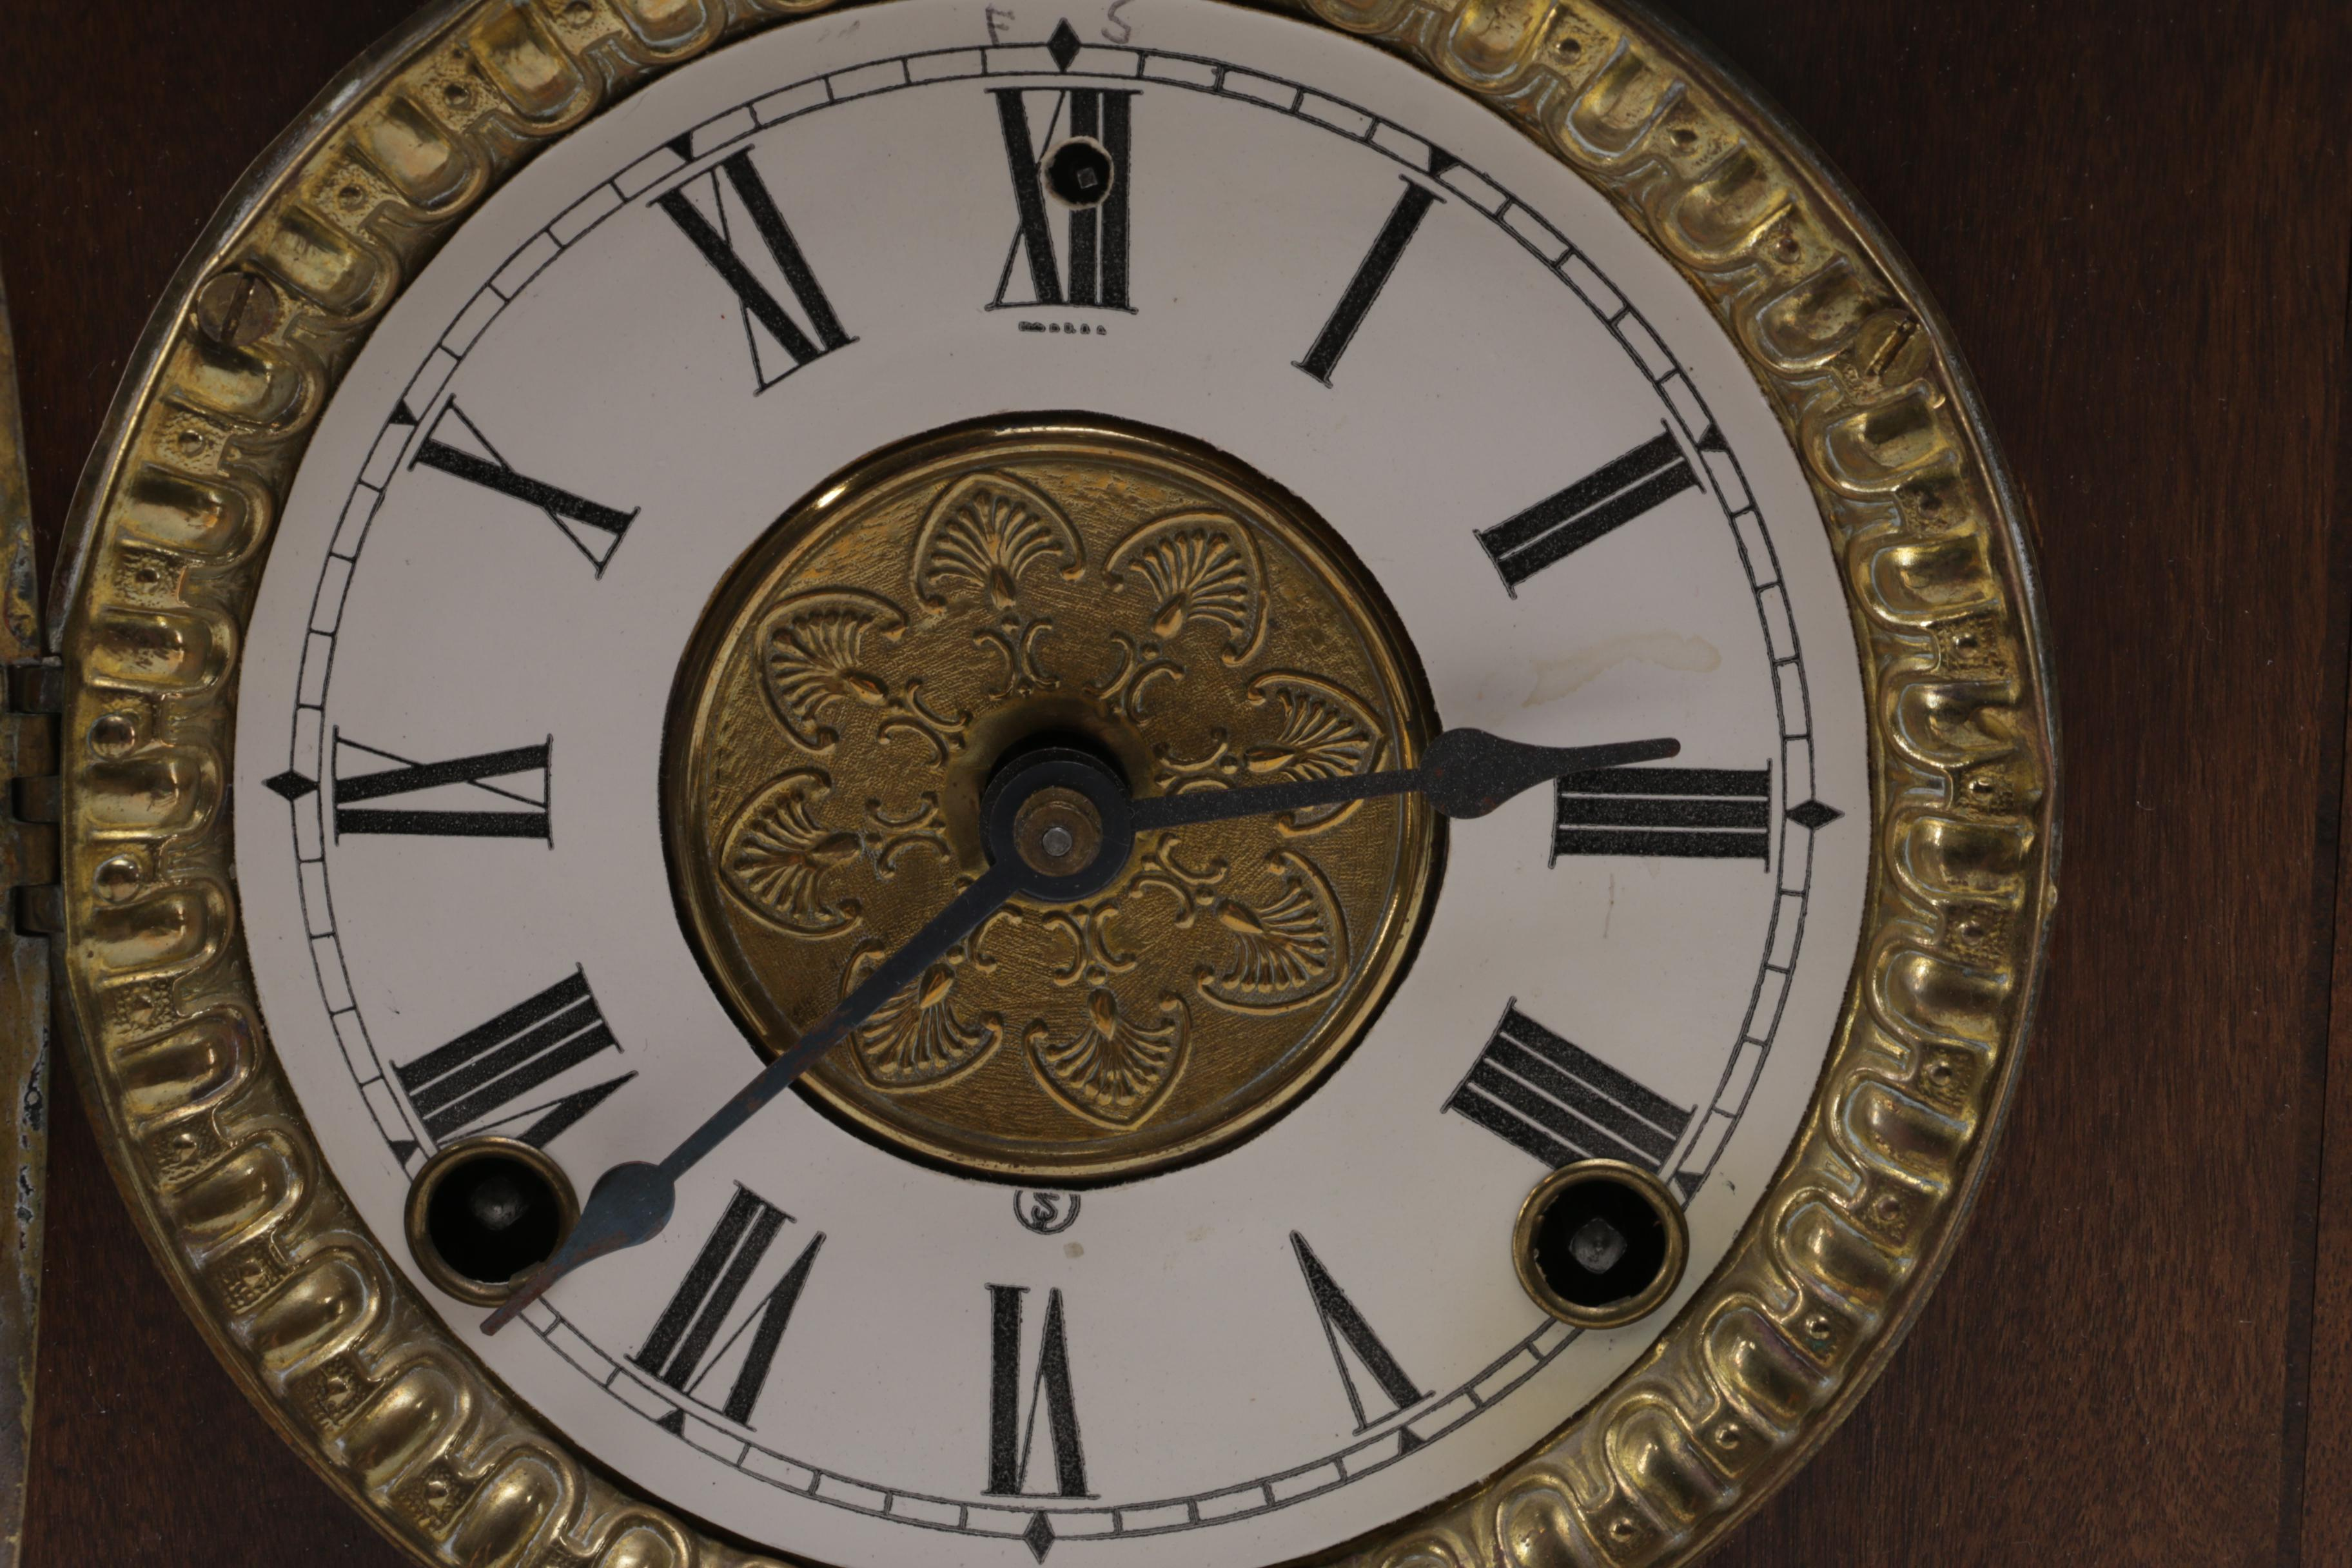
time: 2:37
